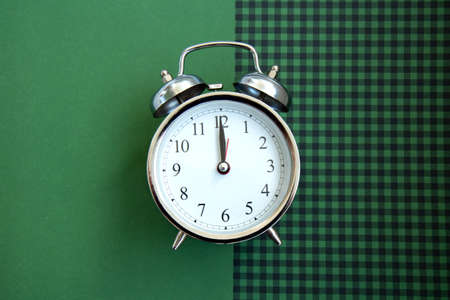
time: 11:59
